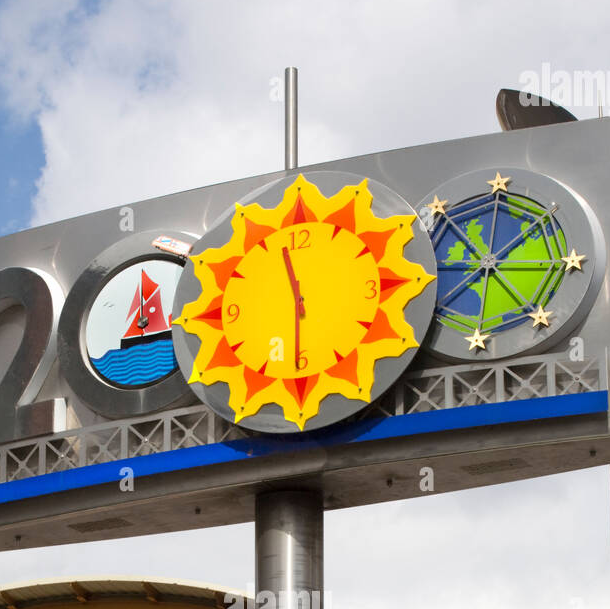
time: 11:30
